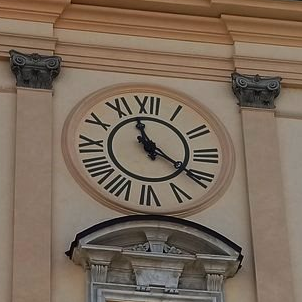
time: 11:20
